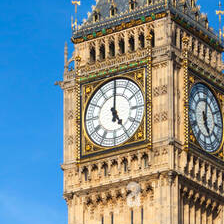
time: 5:00
